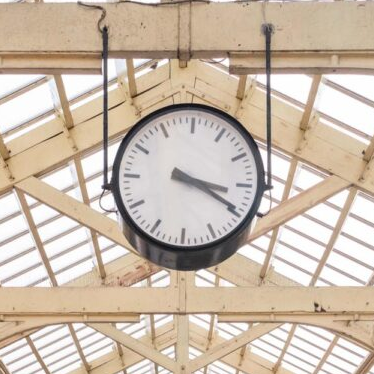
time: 3:19
